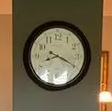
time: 8:19
